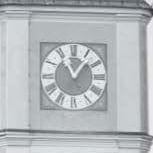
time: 11:06
